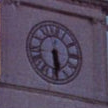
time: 5:29
